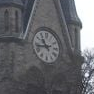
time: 10:43
